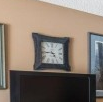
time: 4:44
